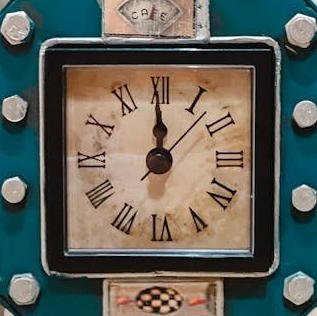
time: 11:59
